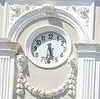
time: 5:31
